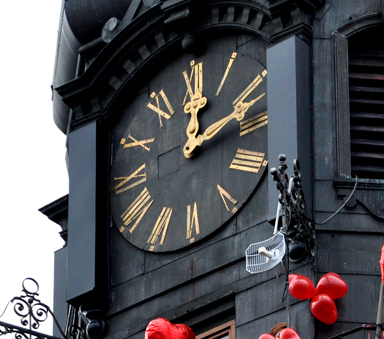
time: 12:12
